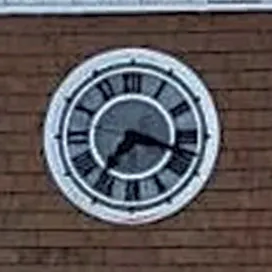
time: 7:17
